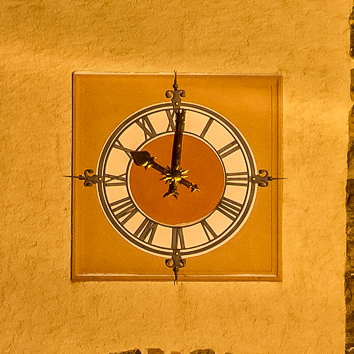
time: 10:00
